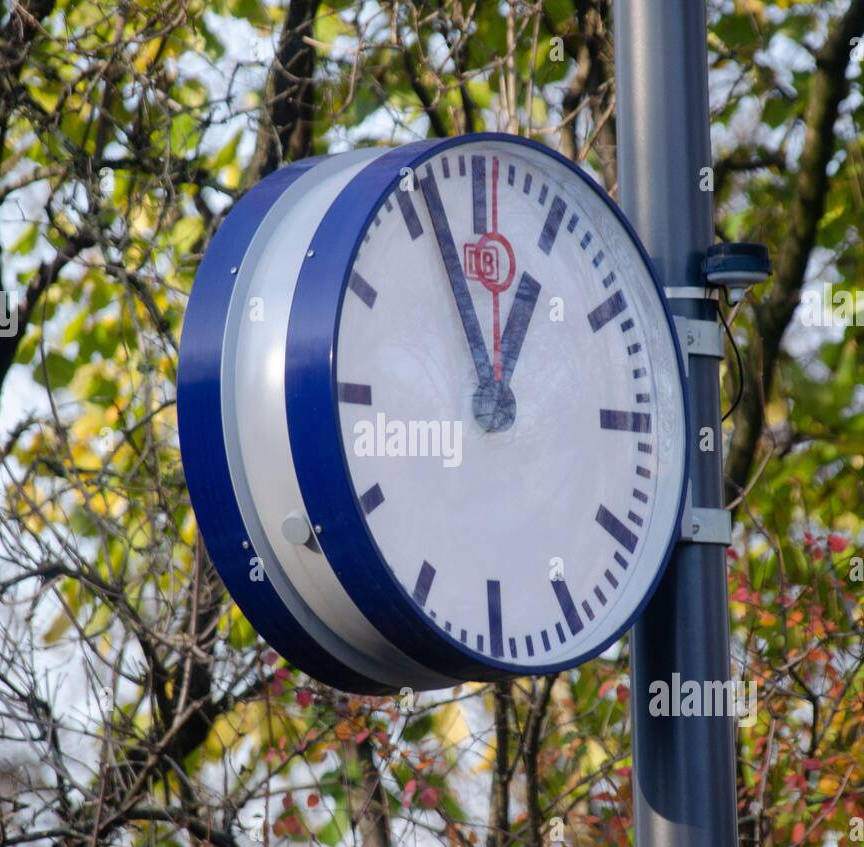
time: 12:57
